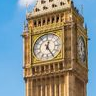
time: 12:24
